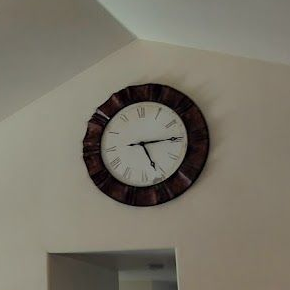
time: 5:14
